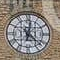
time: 12:21
